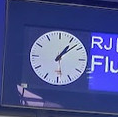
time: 1:08
